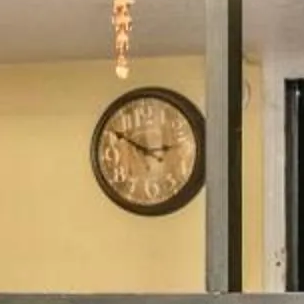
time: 2:50
